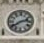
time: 2:39
